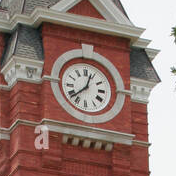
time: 12:37
